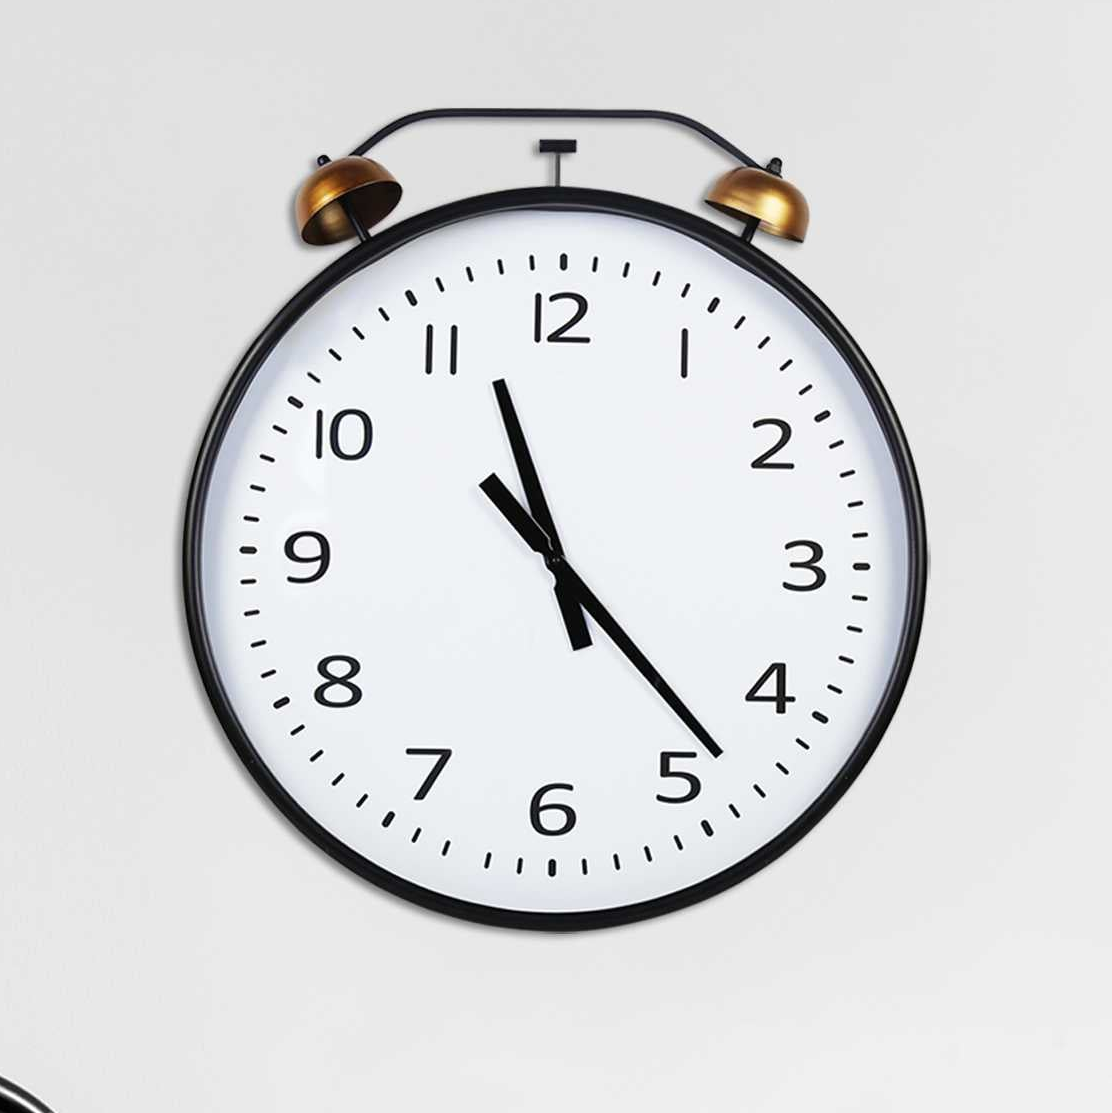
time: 11:23
